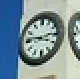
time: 2:46
